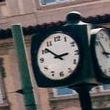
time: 2:52
